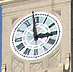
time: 2:58
